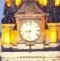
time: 8:33
